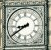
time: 8:39
